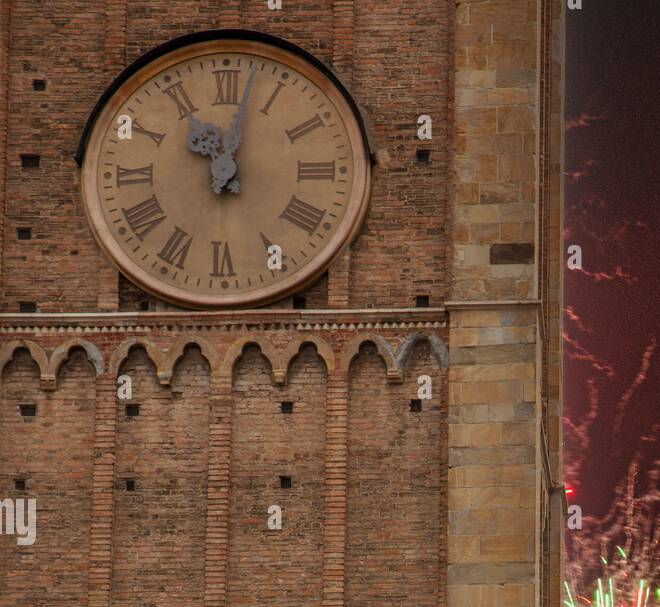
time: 11:02
